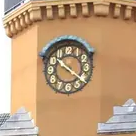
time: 10:21
